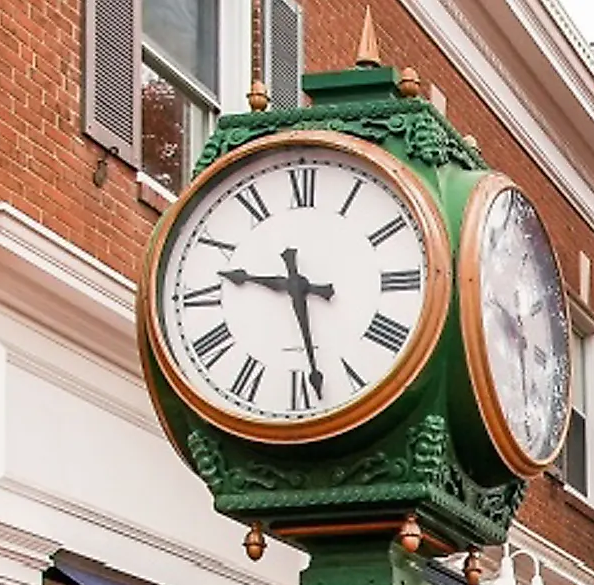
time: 9:28
